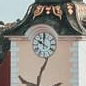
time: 10:00
